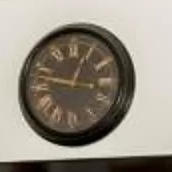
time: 12:47
